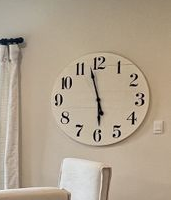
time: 5:57
